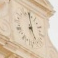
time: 4:59
